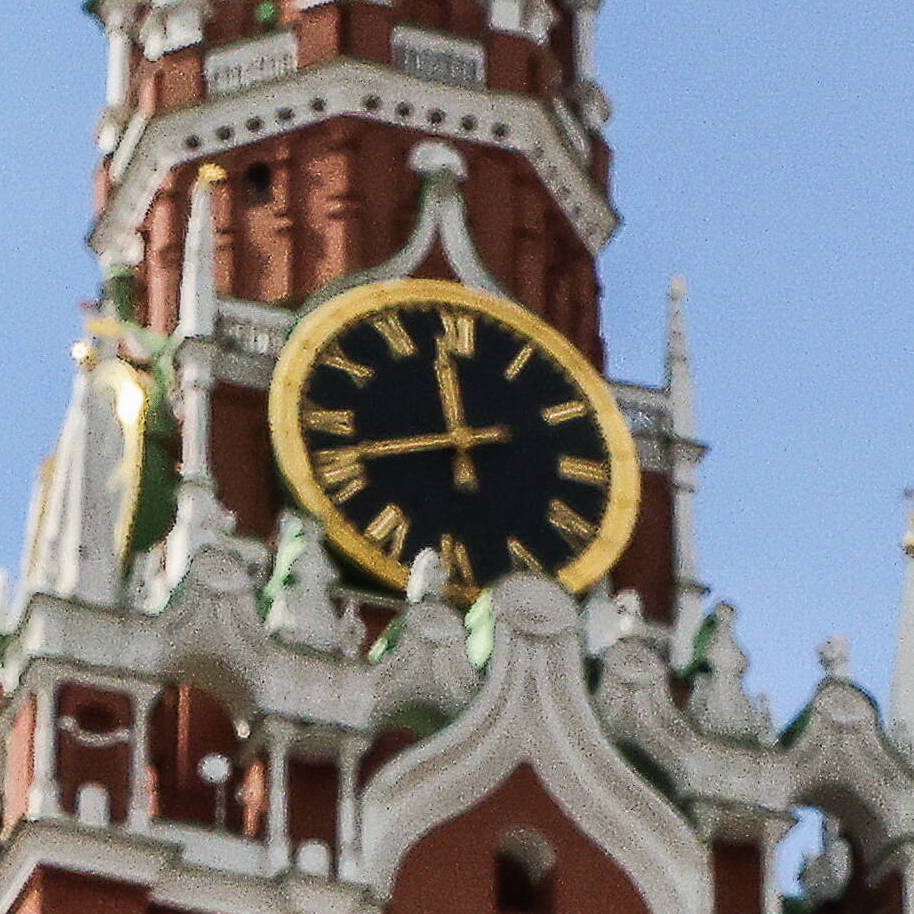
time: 11:42
